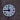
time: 11:45
